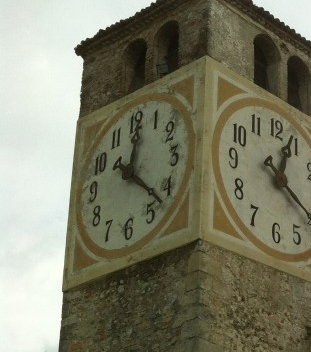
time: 12:22
